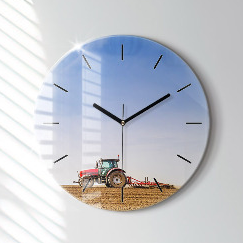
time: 10:09
